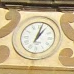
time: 1:02
